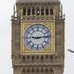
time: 9:13
